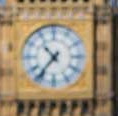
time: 10:36
